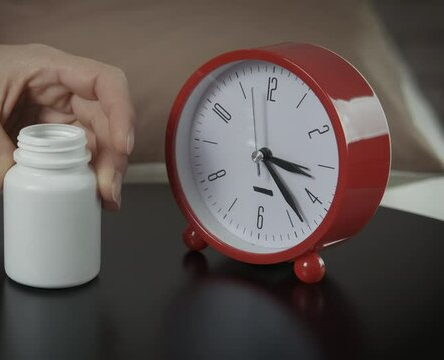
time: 3:22
